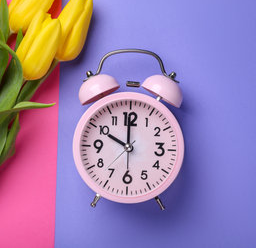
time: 9:59
